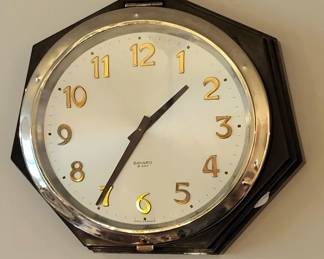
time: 1:35
